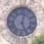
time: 12:26
